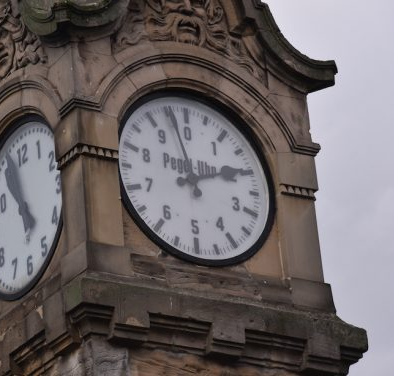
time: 1:58
